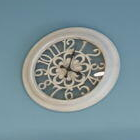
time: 4:02
